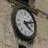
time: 4:12
